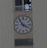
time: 3:54
